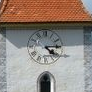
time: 4:14
